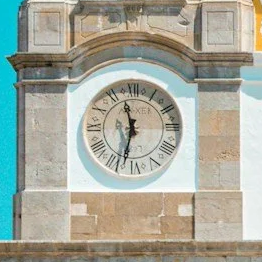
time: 11:32
